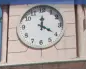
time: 4:00
